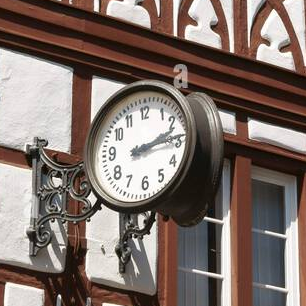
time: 2:14
